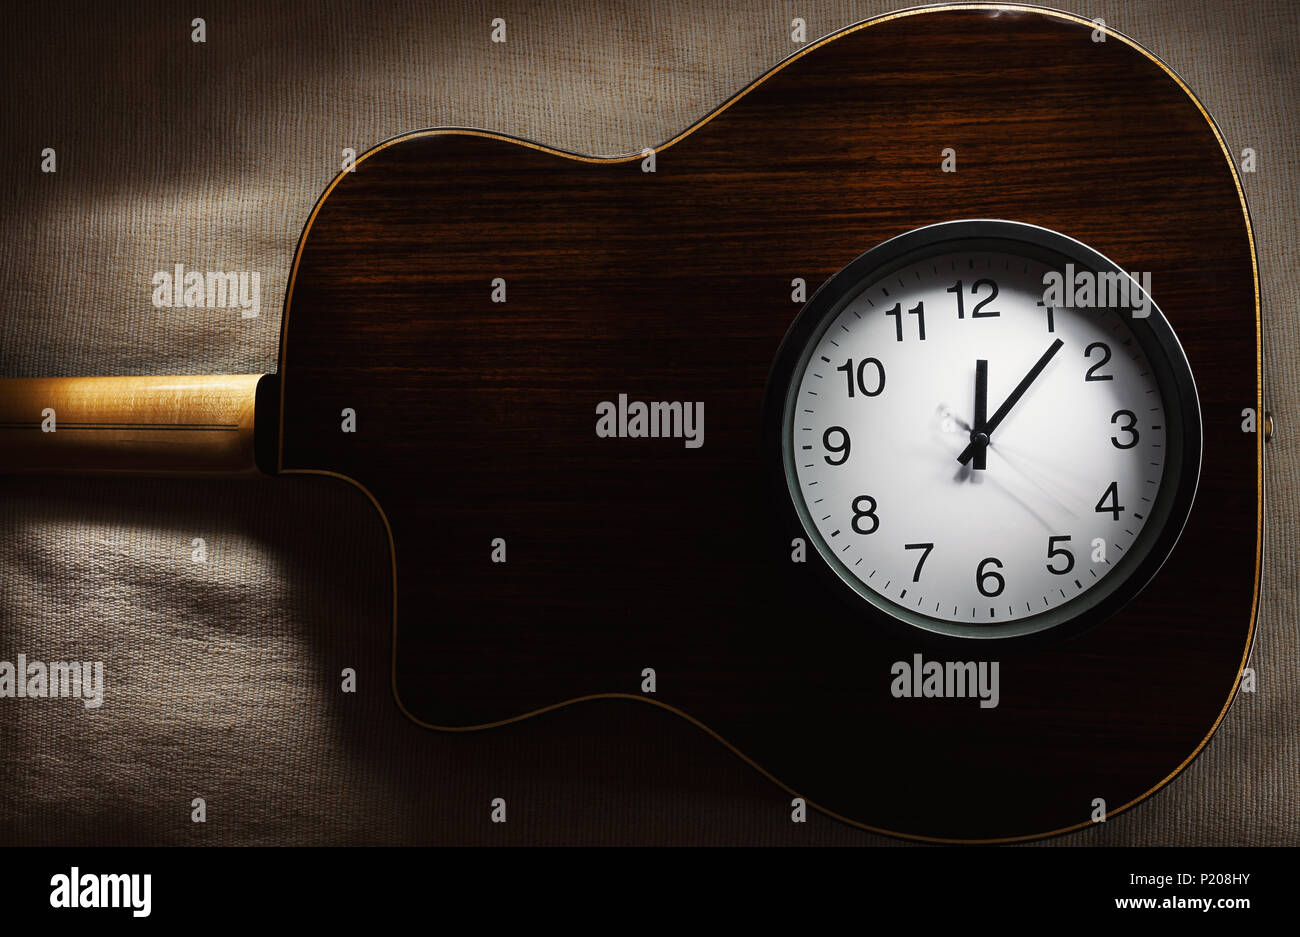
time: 12:07
